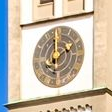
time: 1:59
